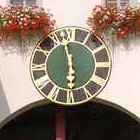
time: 5:57
